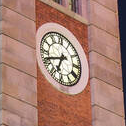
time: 6:41
